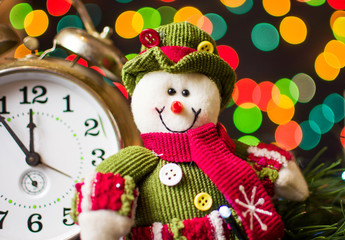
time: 11:53
